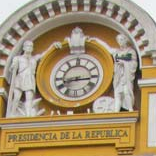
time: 8:15
